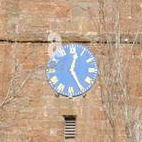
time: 12:25
